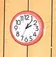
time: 2:06
